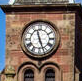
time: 11:26
